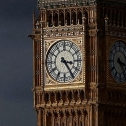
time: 3:24
